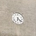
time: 6:21
